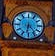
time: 6:23
